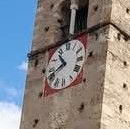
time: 10:41
